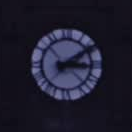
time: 3:09
